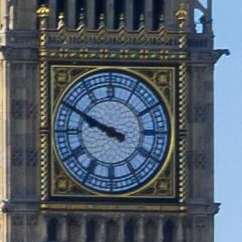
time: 9:49
